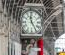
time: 11:24
